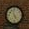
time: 4:57
